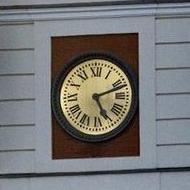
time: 5:11
